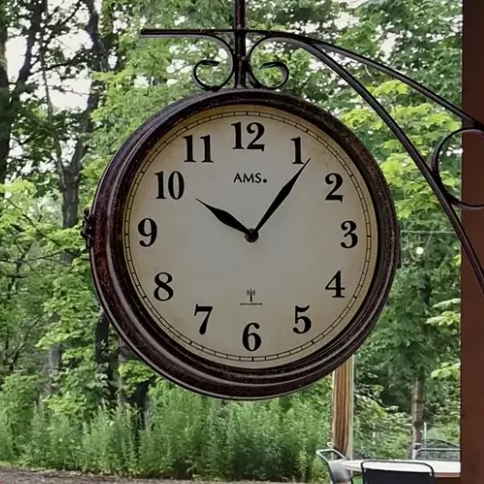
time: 10:06
